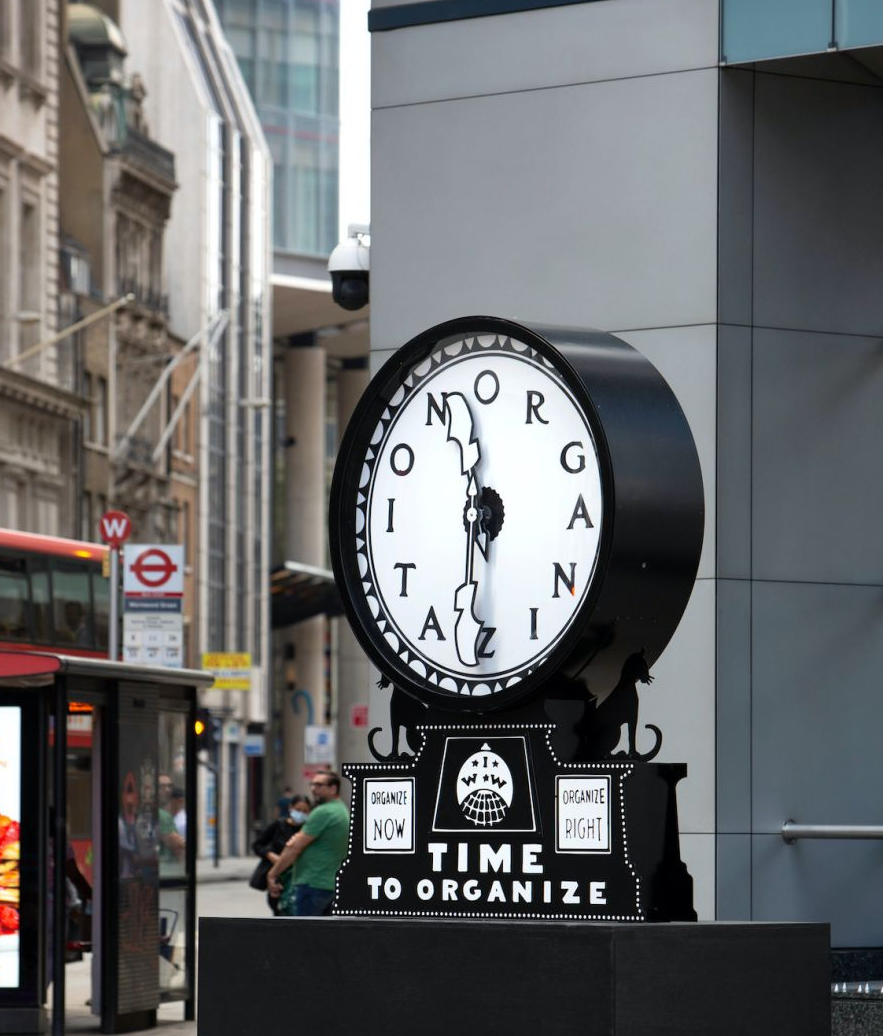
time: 11:31
